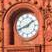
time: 1:41
